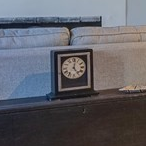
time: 12:23
